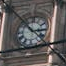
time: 2:52
